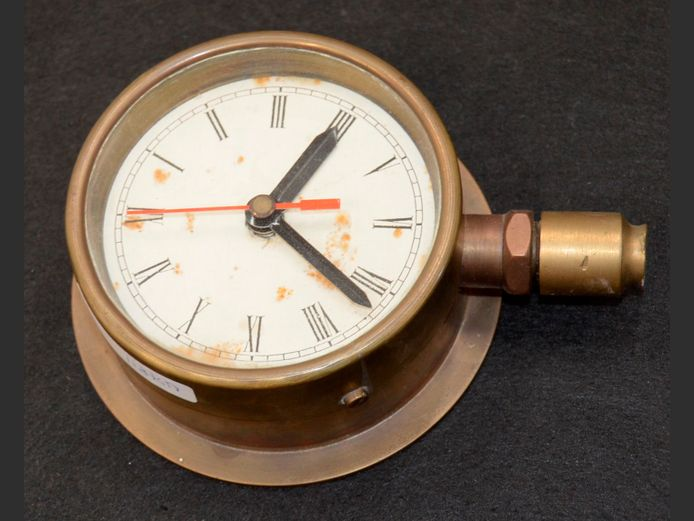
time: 1:21
